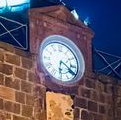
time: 6:19
